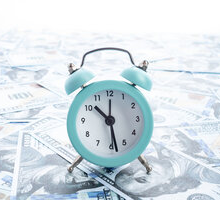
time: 10:28
